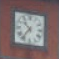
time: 10:36
